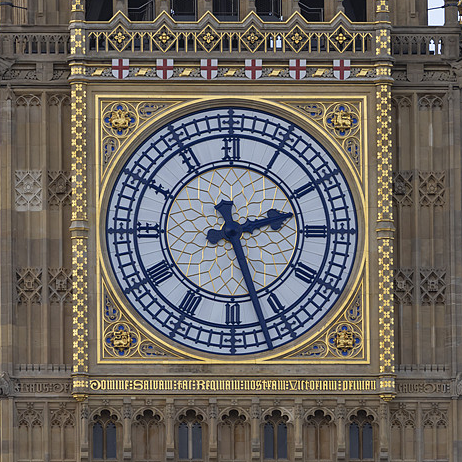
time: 2:26
